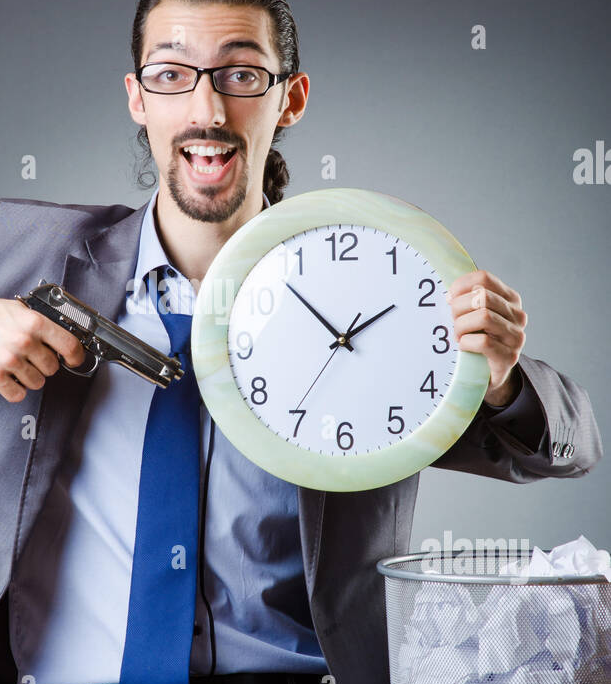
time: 1:52
